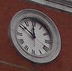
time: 11:51
